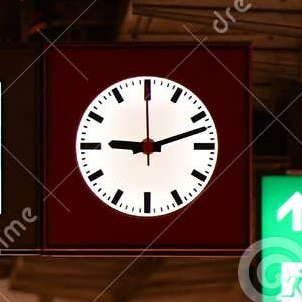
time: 9:12
